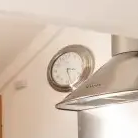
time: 3:26
